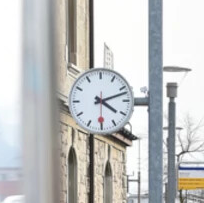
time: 4:12
